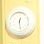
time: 12:28
